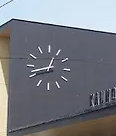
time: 12:42
